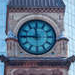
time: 11:45
